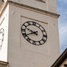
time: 9:40
